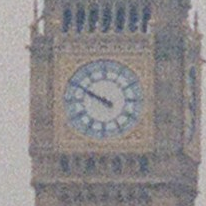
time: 9:50
